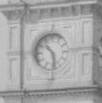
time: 10:28
